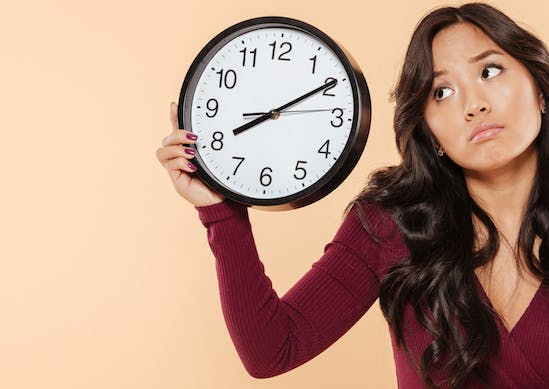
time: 8:09
